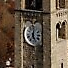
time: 12:26
